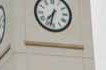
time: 7:32
